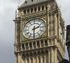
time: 2:30
